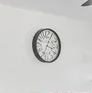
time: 3:33
